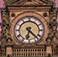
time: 6:22
